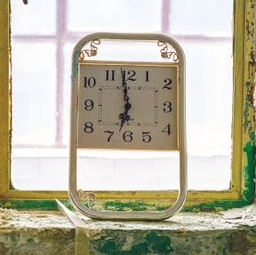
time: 6:58
